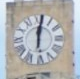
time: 12:01
